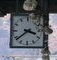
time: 3:39
